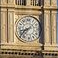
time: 8:38
